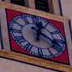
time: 12:19
